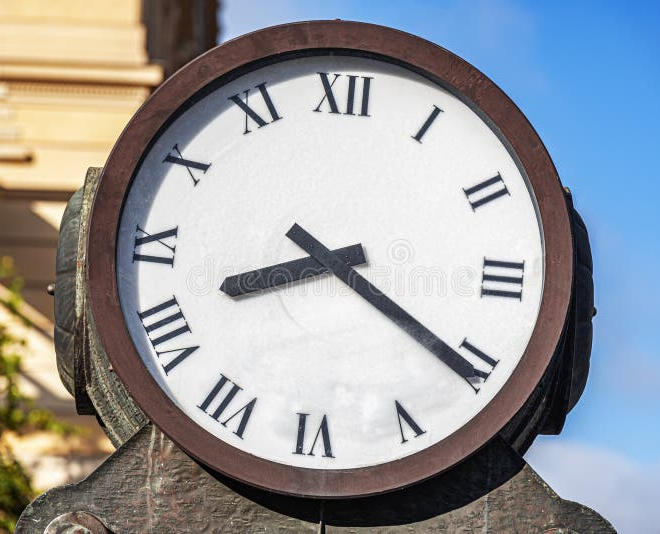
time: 8:20
